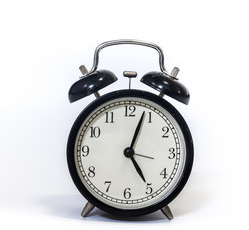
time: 5:03
